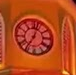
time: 7:03
